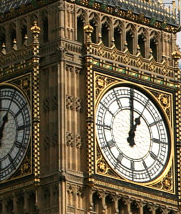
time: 1:00
